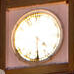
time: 4:29
